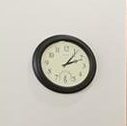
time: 2:06
